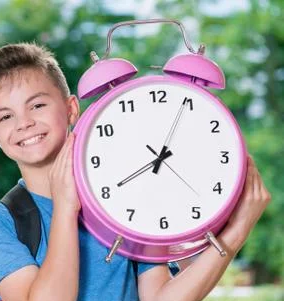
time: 8:04
